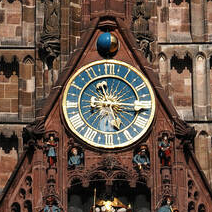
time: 5:14
